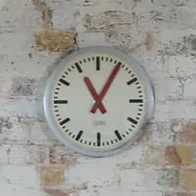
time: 11:05
